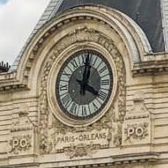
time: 4:02
